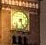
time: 7:25
